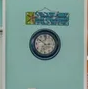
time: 2:50
